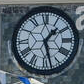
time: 1:27
